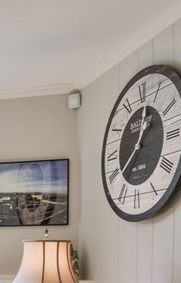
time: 1:01
